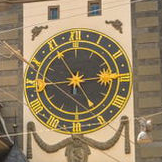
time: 6:14
